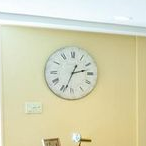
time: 2:33
